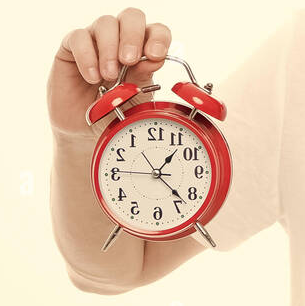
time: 1:22
